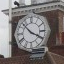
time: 3:52
